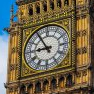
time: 8:54
